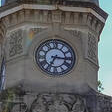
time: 7:16
